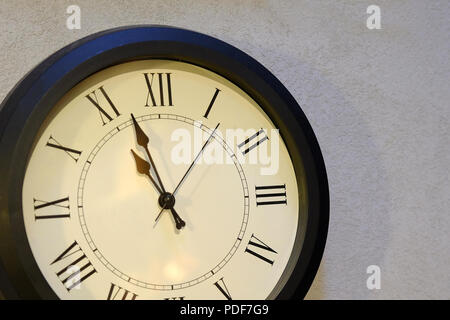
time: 10:56
